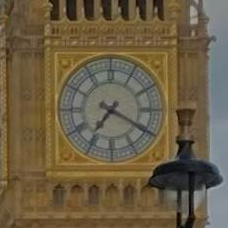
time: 7:19
